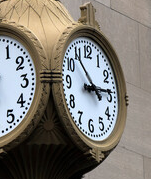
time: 2:53
